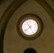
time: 10:38
